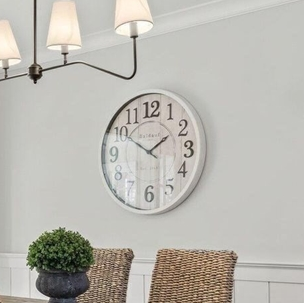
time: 1:50
